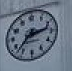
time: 2:36
